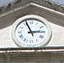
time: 2:56
